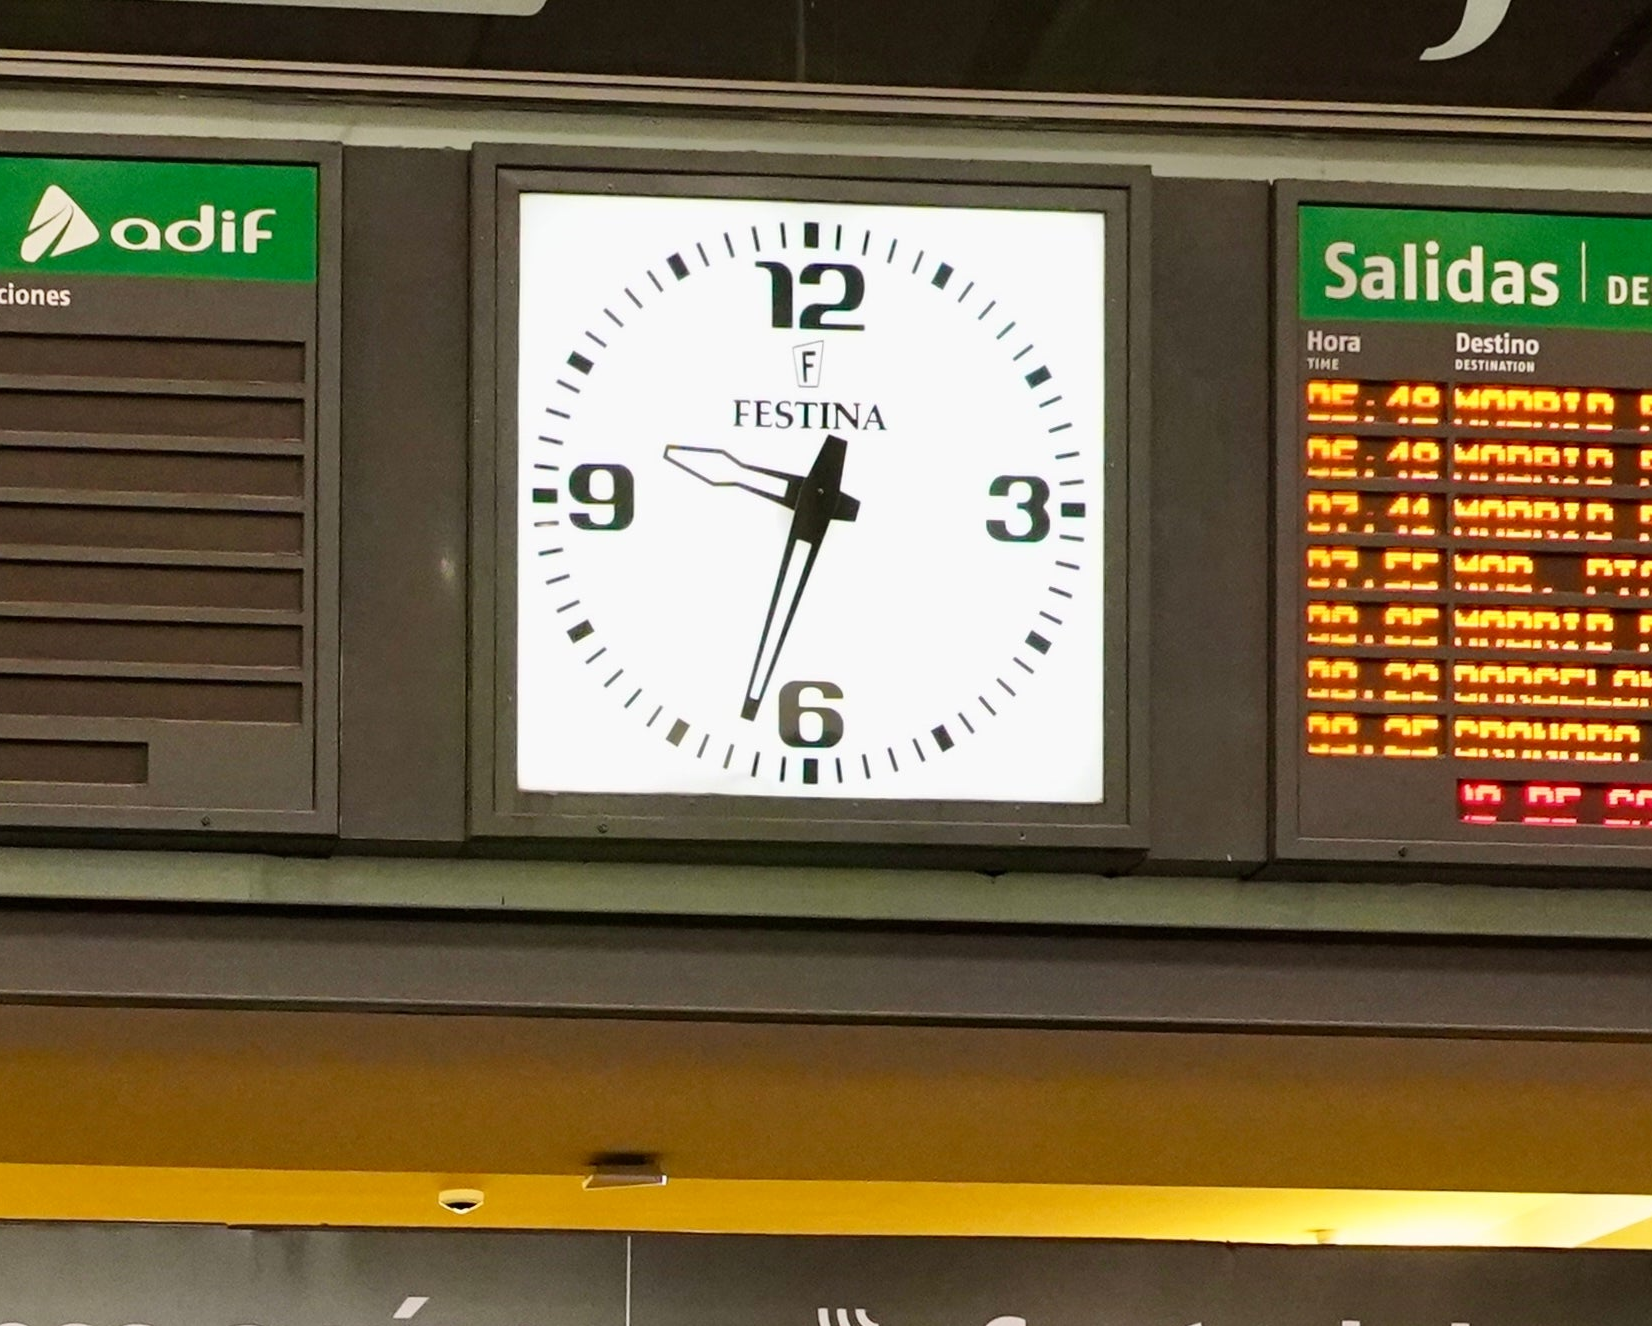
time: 12:32
